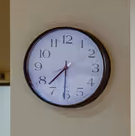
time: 7:30
